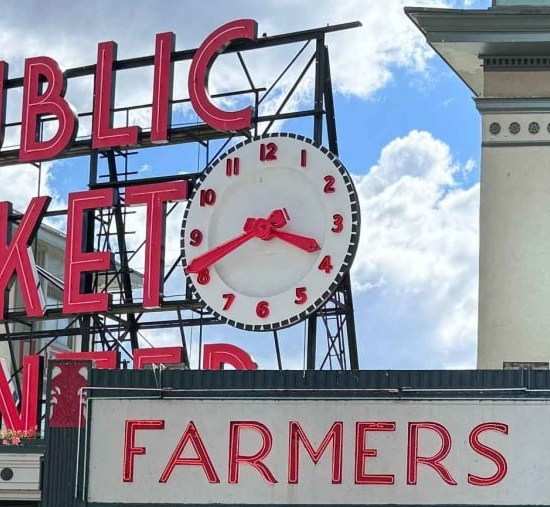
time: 3:41
